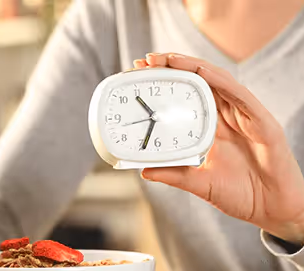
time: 10:33
